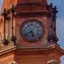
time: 5:38
